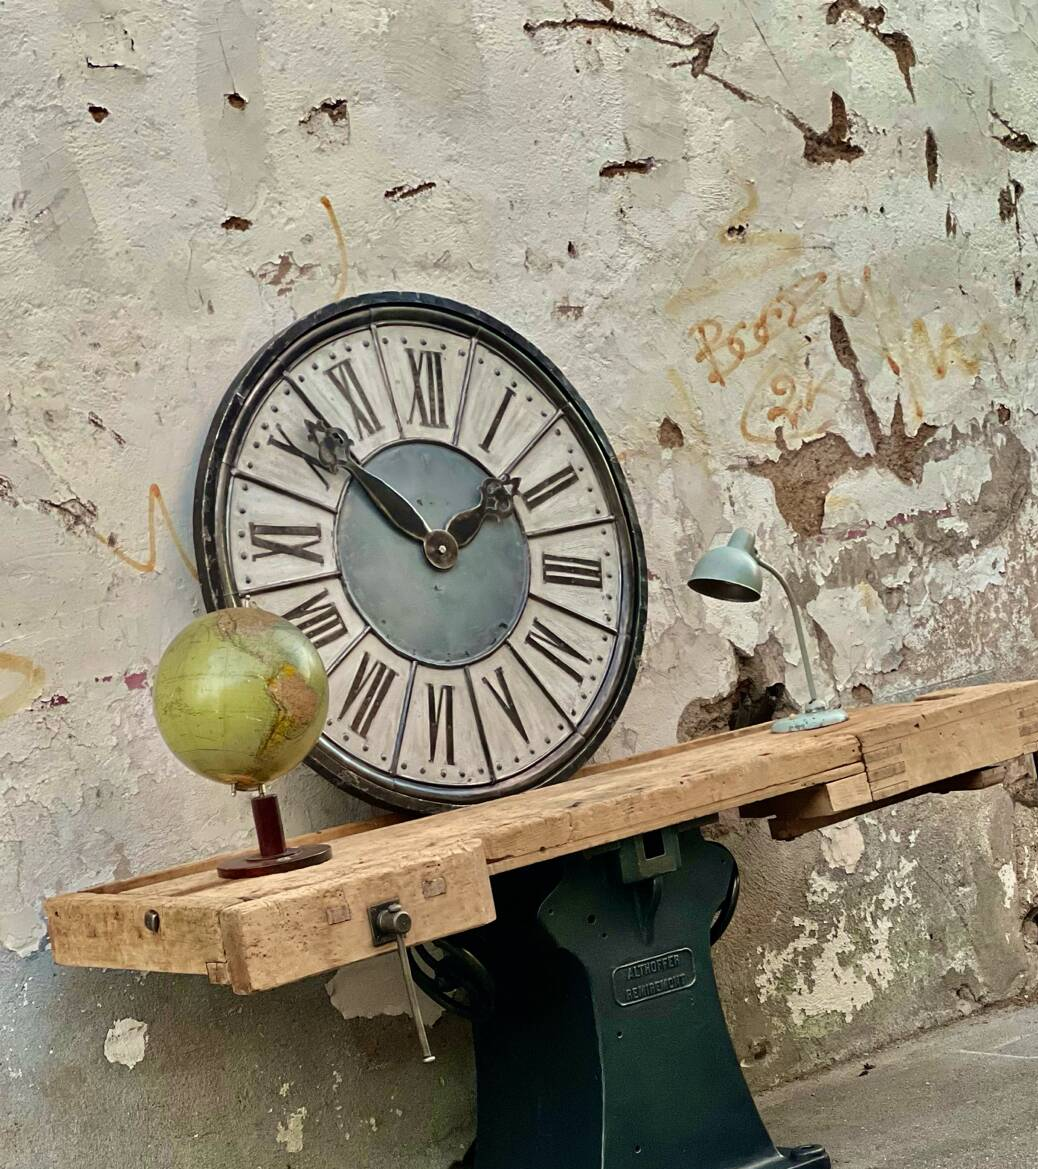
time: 1:51
